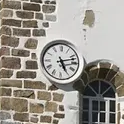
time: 5:12
